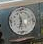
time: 11:32
